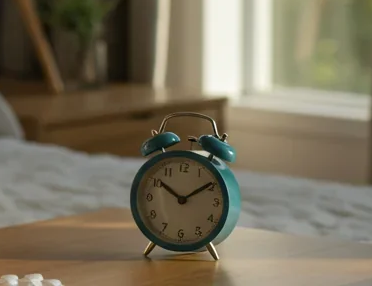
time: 10:09
